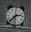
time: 2:36
